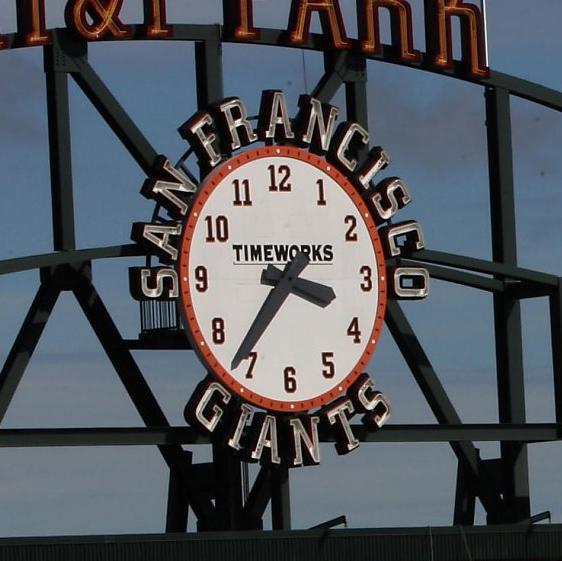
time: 3:36
